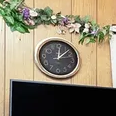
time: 12:07
